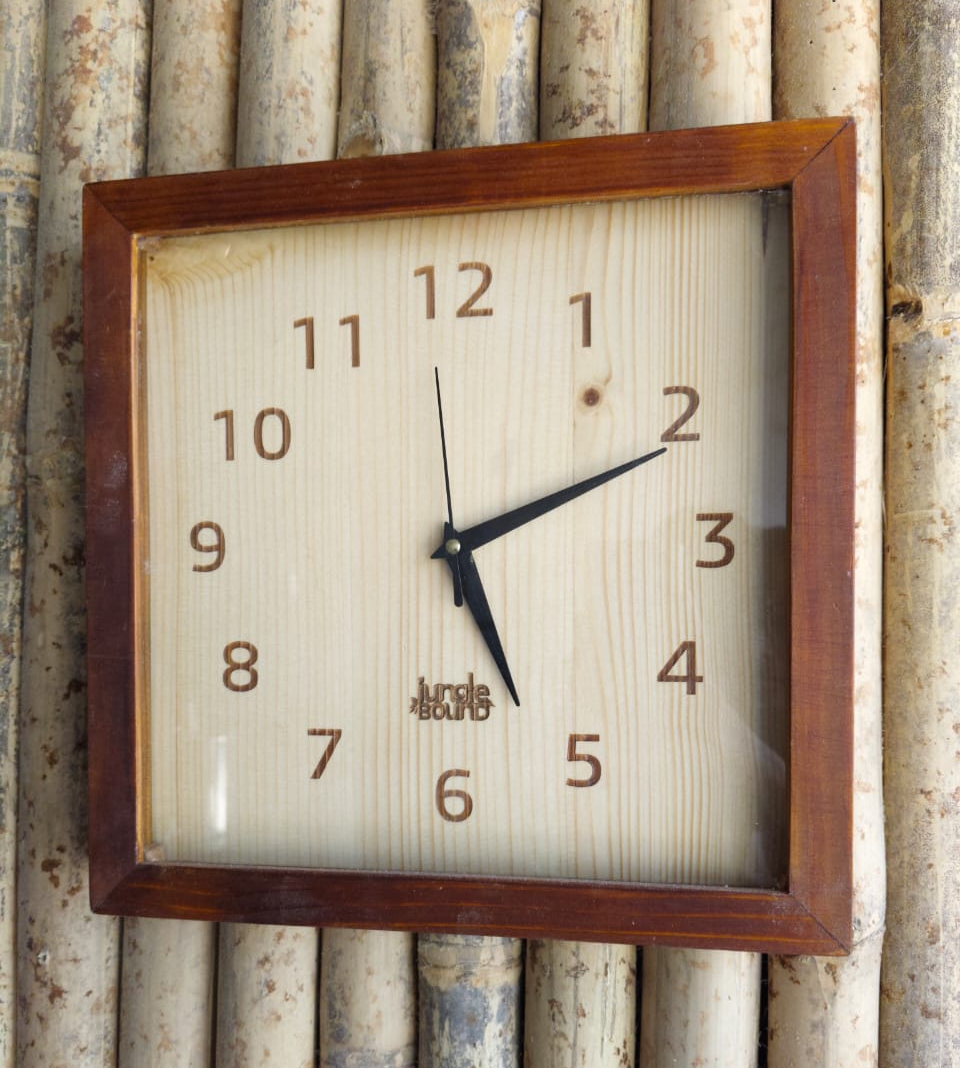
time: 5:11
